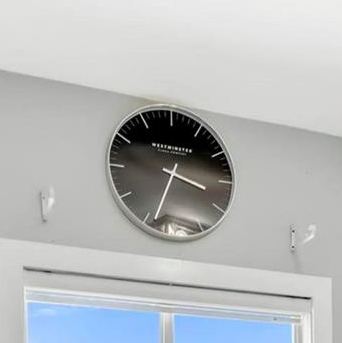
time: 3:33
